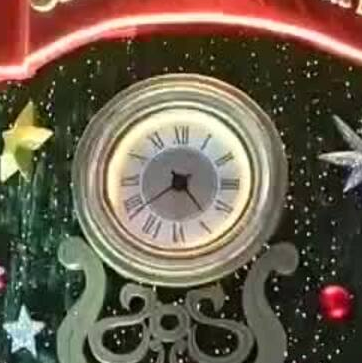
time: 4:38
